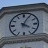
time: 4:04
